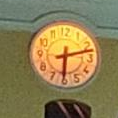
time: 6:12
